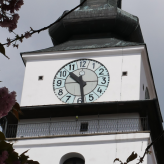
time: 10:28
